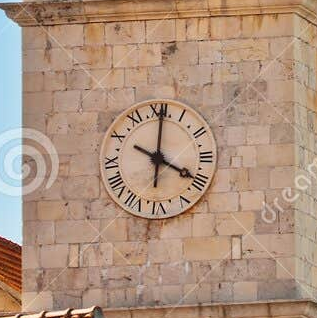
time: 4:00
